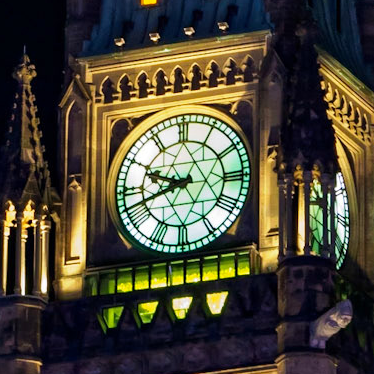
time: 9:42
